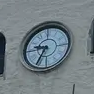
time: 9:34
